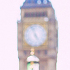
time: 4:57
